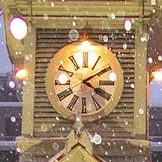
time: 4:09
